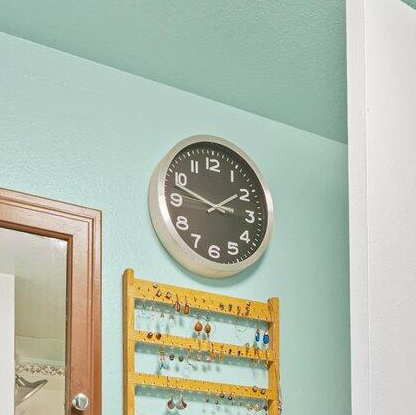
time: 1:47
